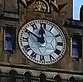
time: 11:50
